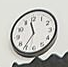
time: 11:36
